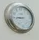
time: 8:43
